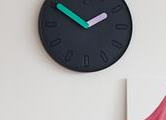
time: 1:50
